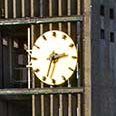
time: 2:33
